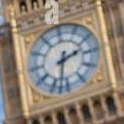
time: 2:32
